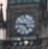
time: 4:46
